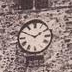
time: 1:49
